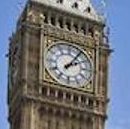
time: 2:06
